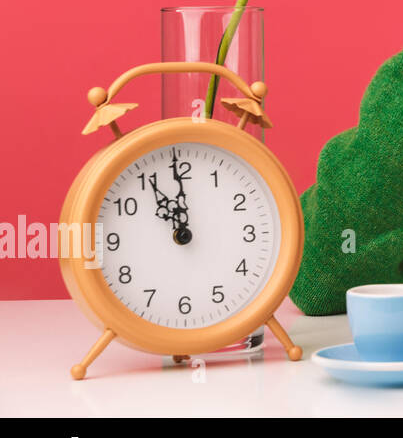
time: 10:59
